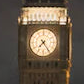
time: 7:24
